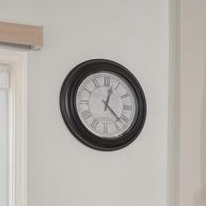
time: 12:22
